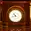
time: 10:42
